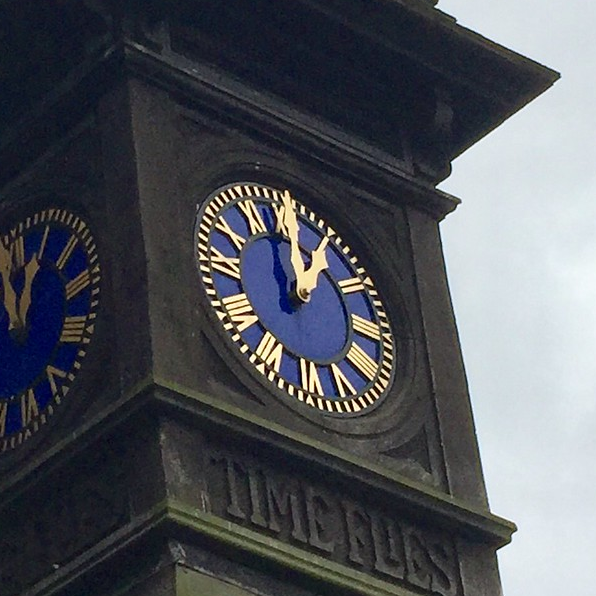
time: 1:00
